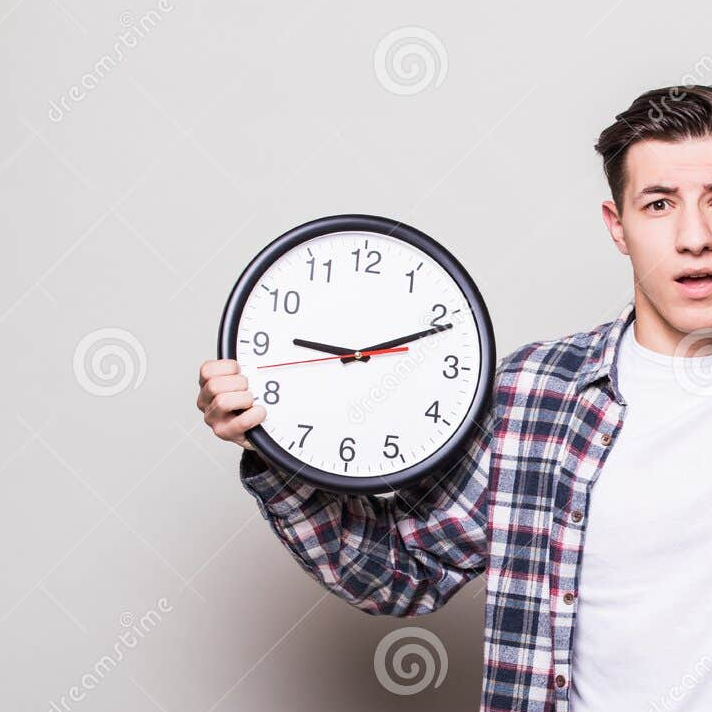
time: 9:11
